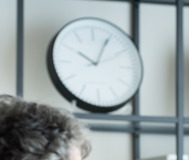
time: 10:04
